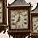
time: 7:00
